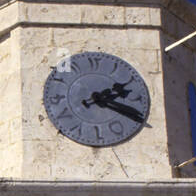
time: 2:18
